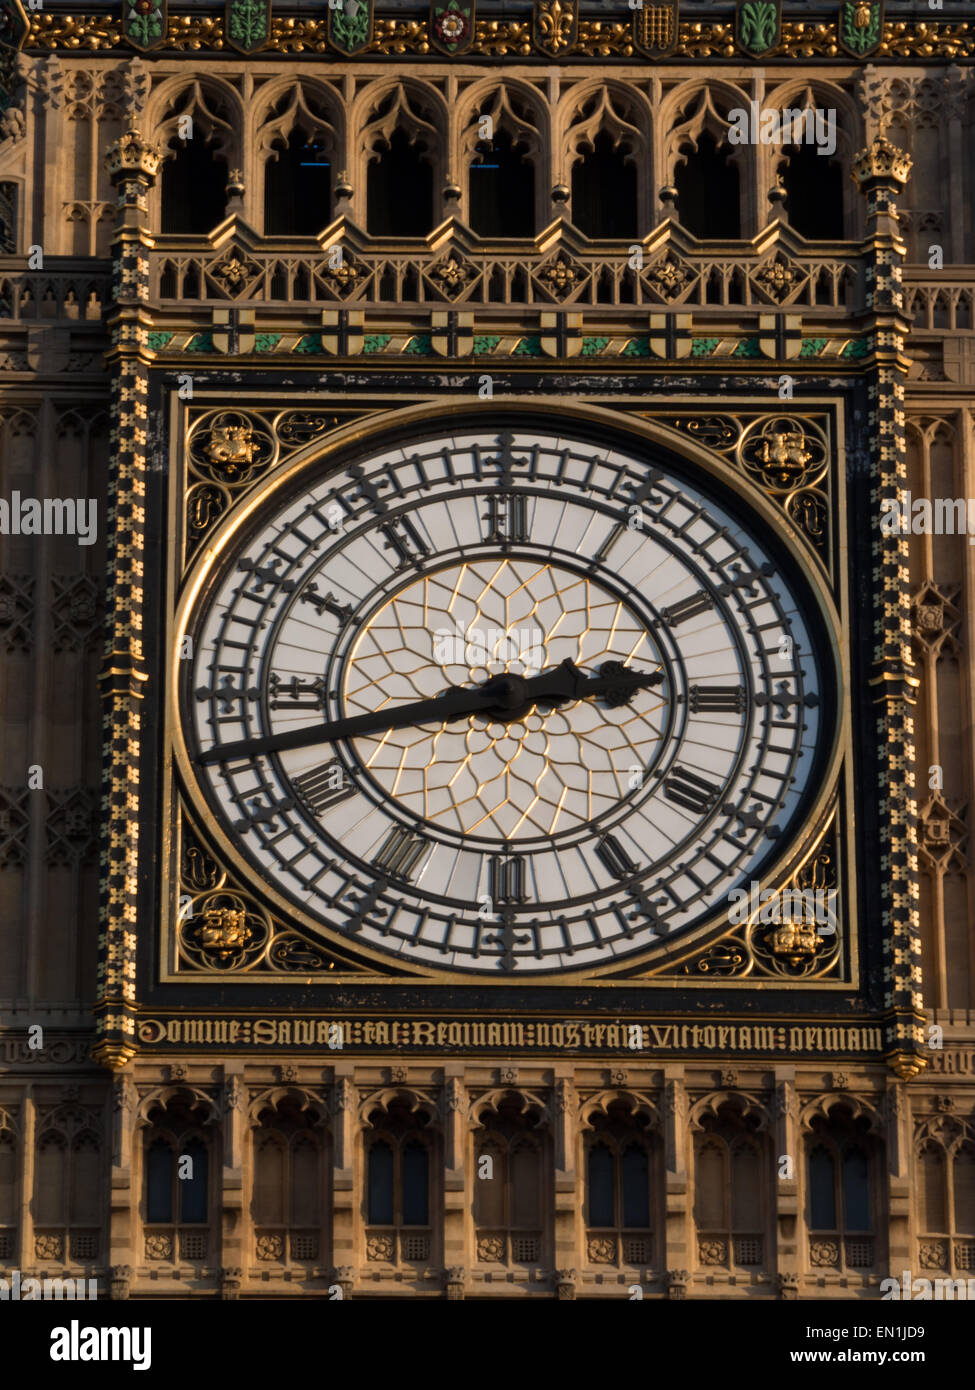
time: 2:42
